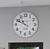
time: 10:49
